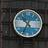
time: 10:34
